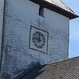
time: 11:46
